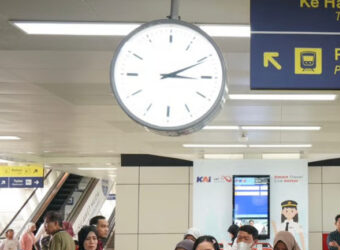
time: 3:10
